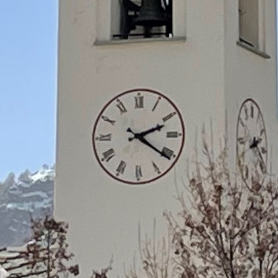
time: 2:20
